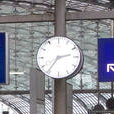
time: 2:35
